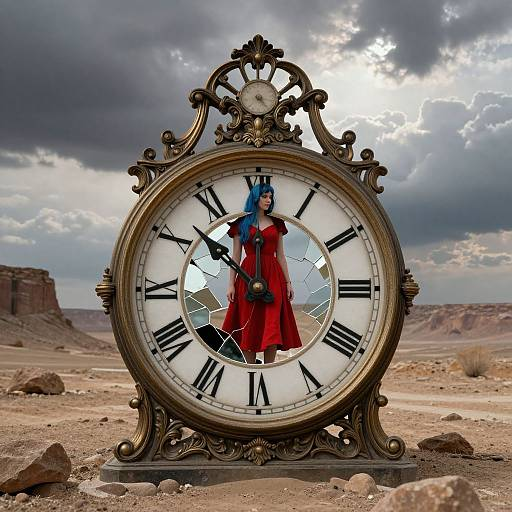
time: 11:52
